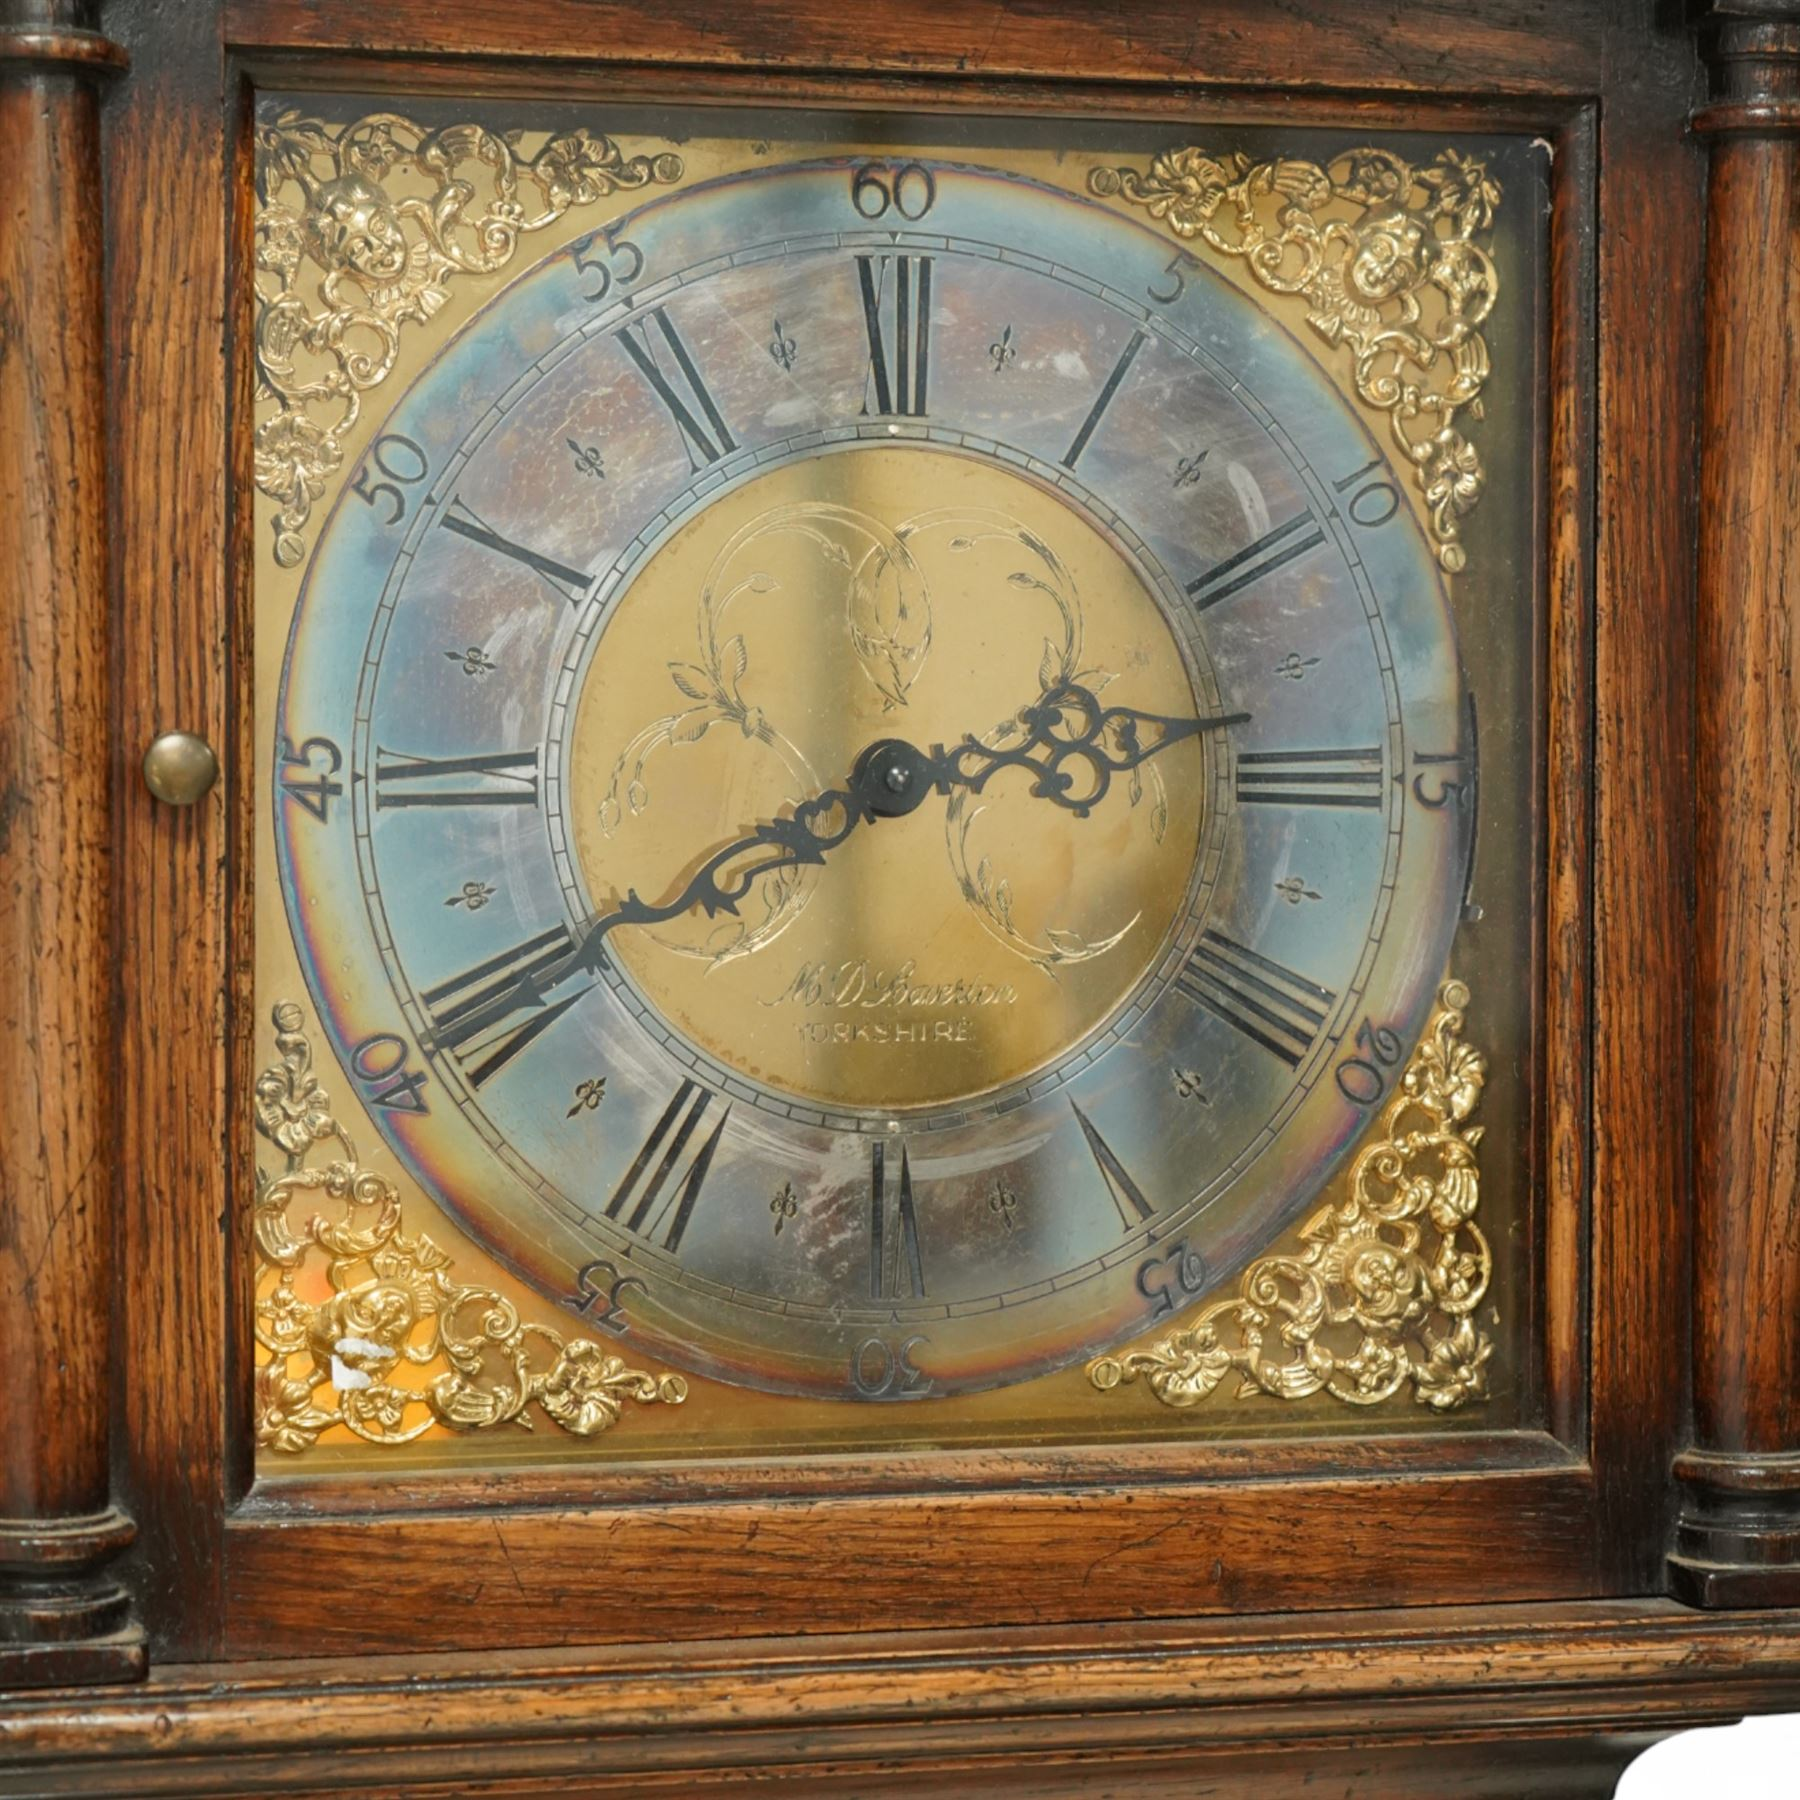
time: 2:40
